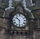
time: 10:30
